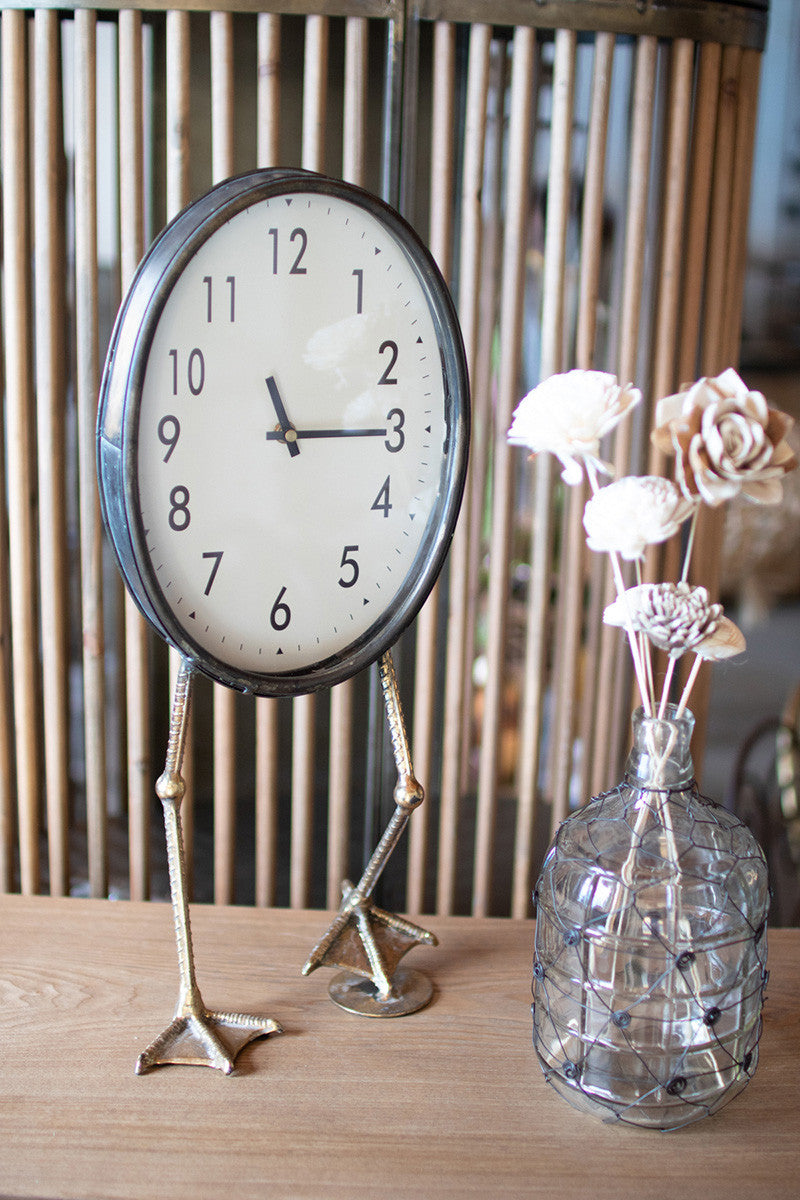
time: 11:14
